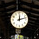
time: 12:12
